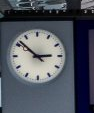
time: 2:51
